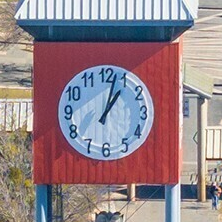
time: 1:02
